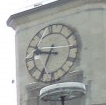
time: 9:34
